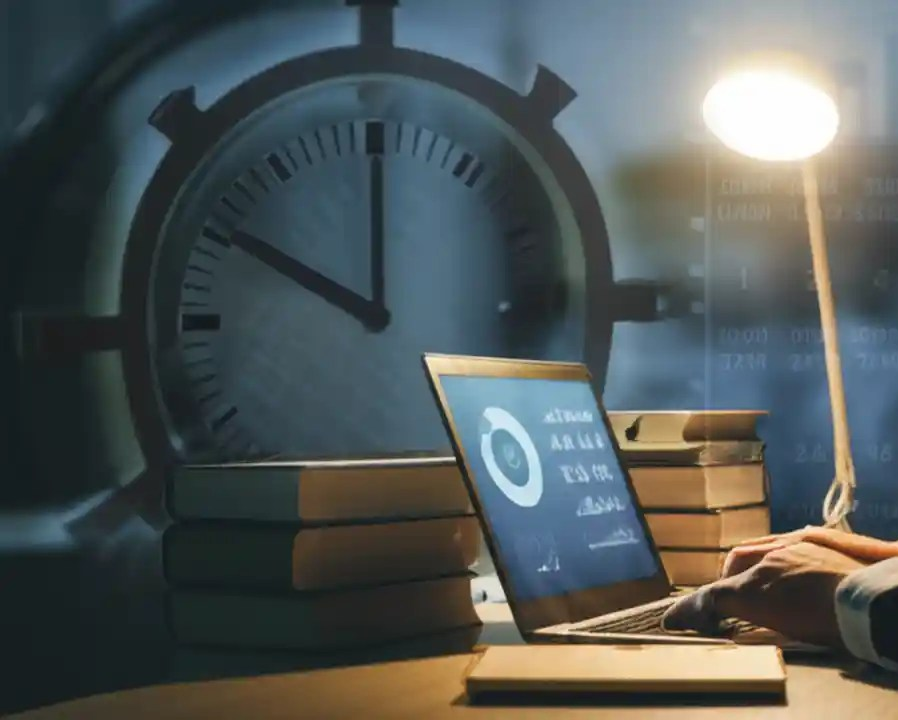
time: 10:00
